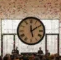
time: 12:09
